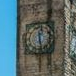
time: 12:28
